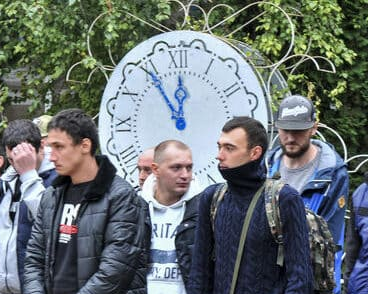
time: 11:54
